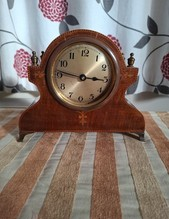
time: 2:46
